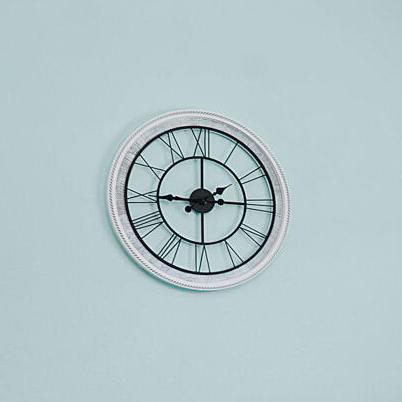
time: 1:45
